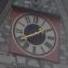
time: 1:40
